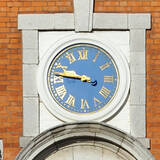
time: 9:46
